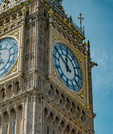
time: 11:51
